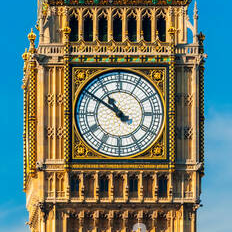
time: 10:50
